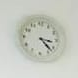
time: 3:22
